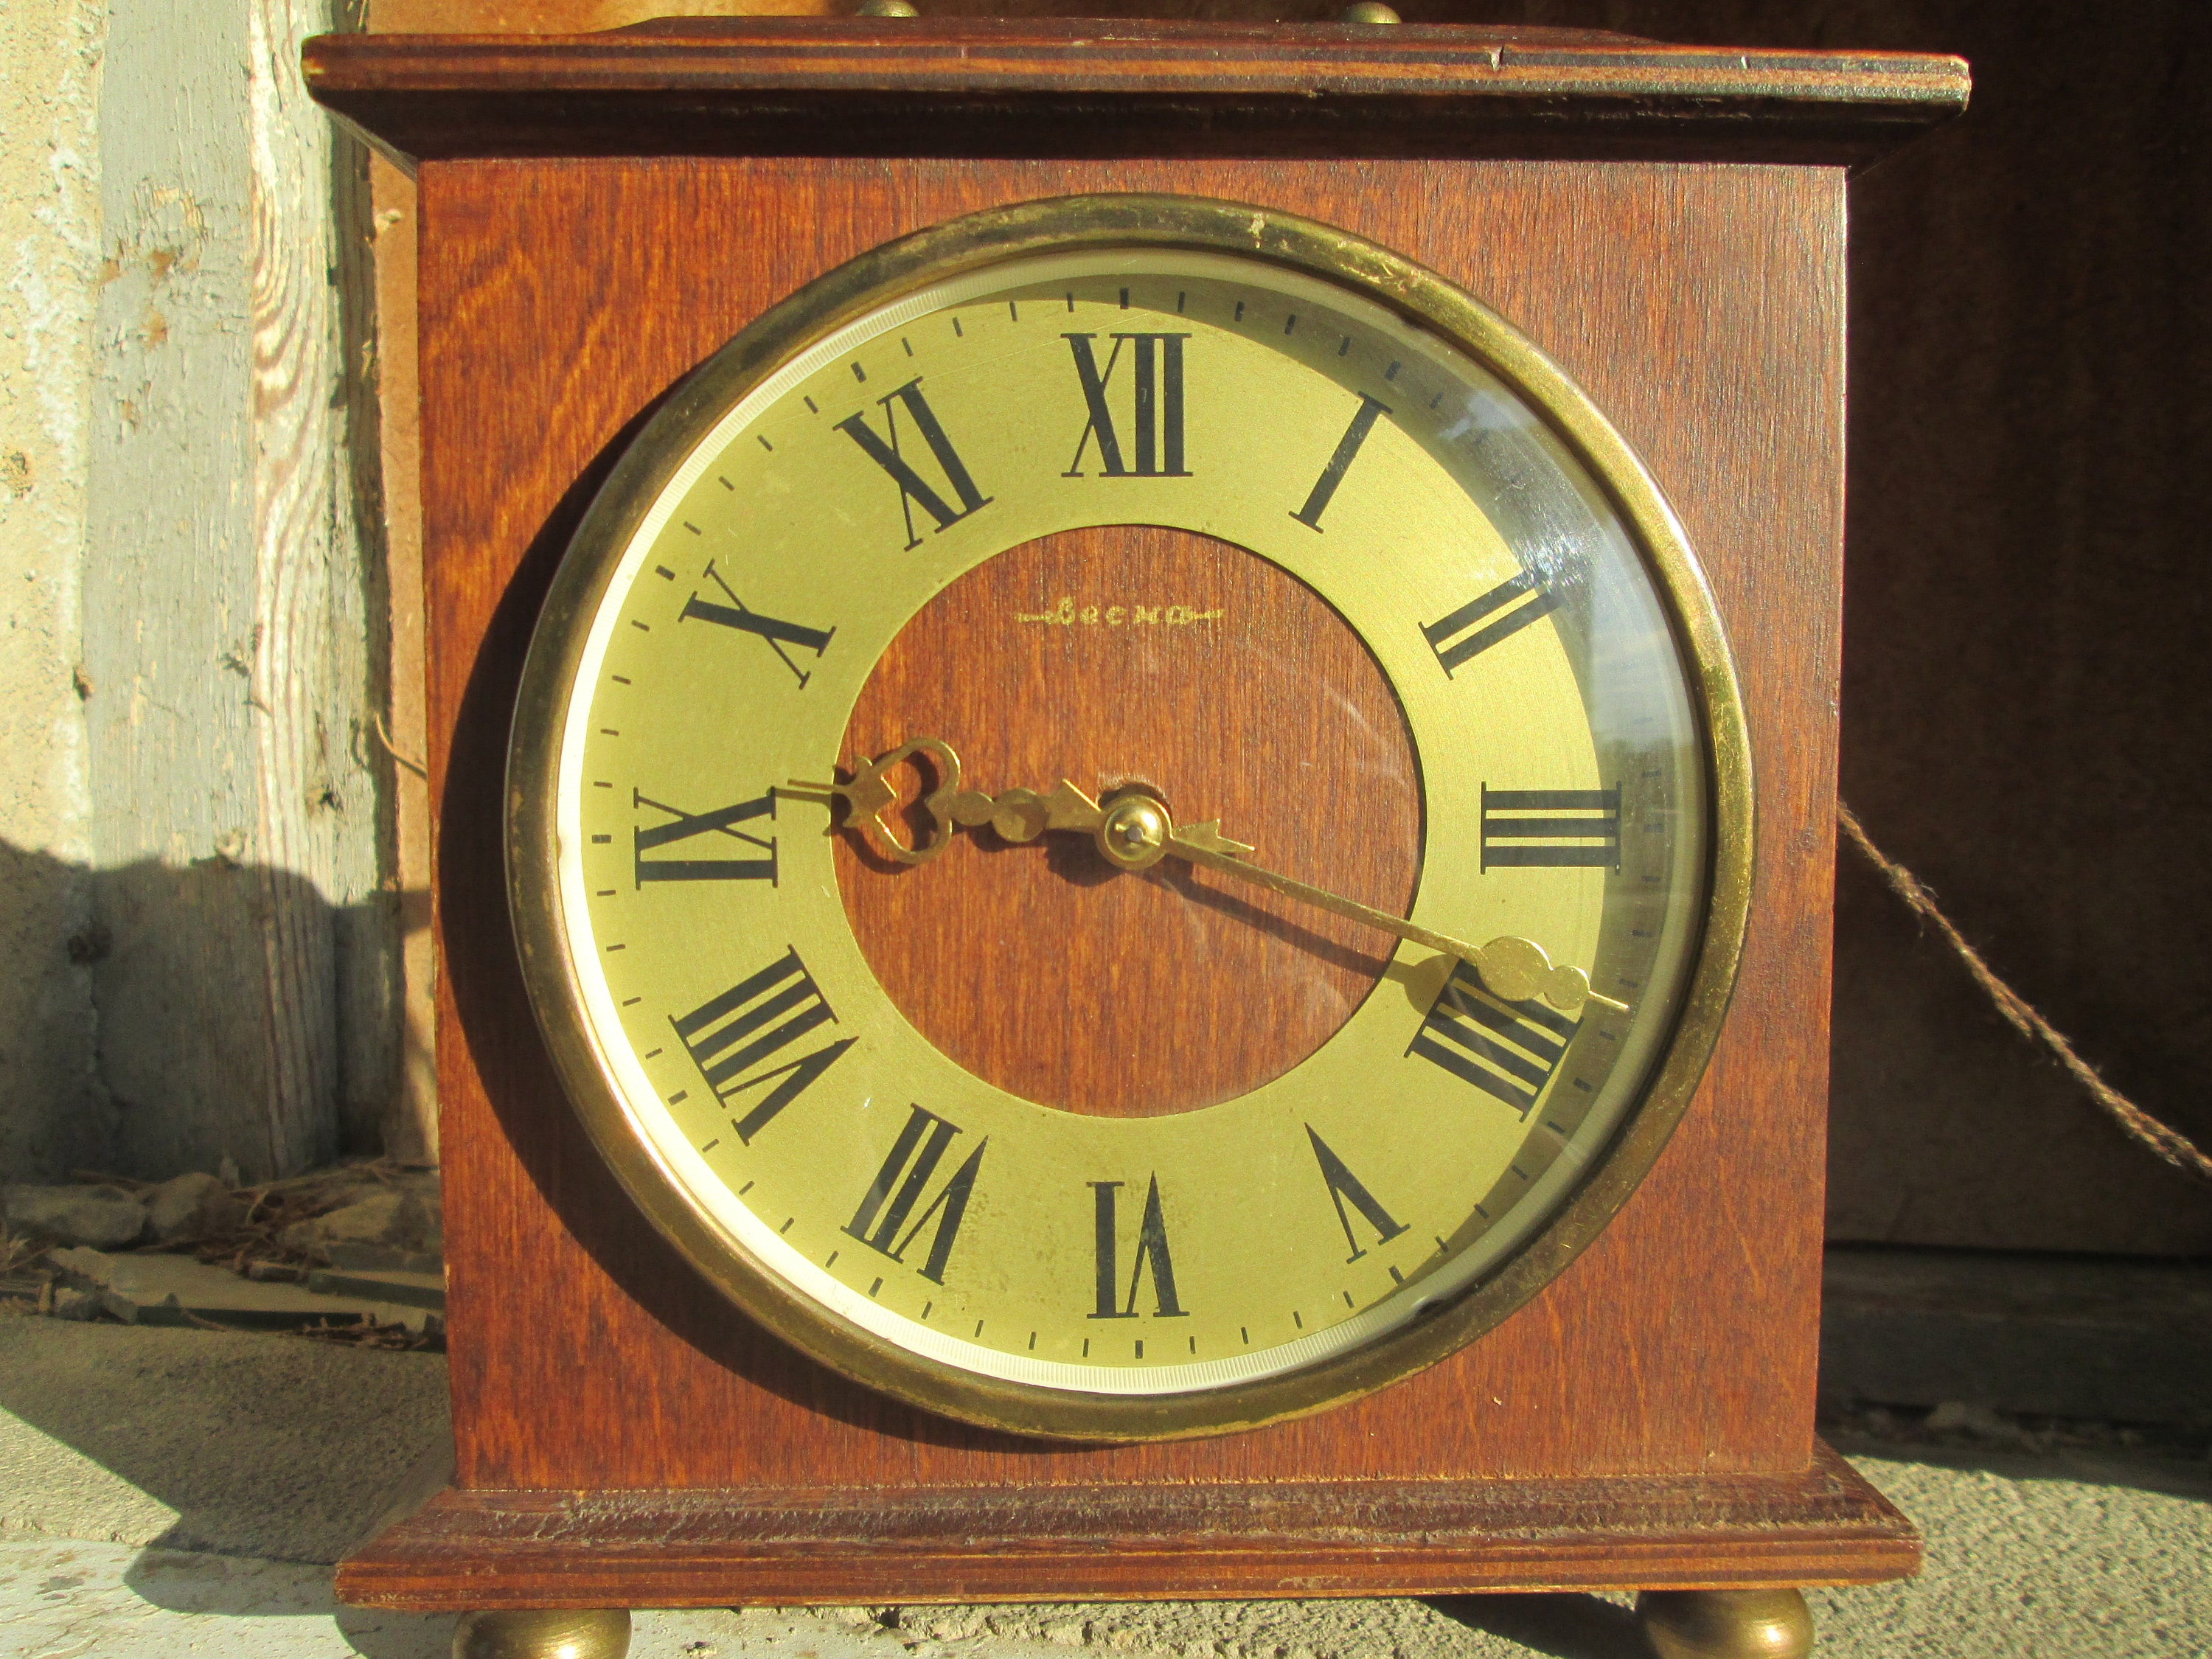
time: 9:19
